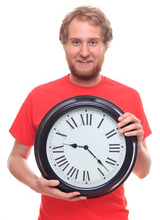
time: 9:22
